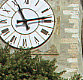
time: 11:13
